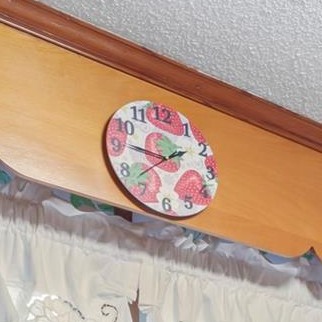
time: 1:46
